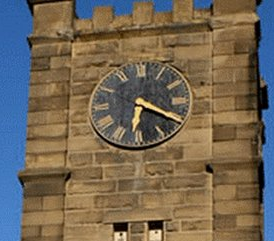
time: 6:19
